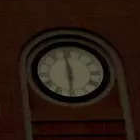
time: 5:59
